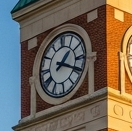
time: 1:19
